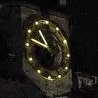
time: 10:47
